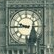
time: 9:44
